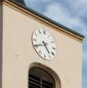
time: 4:40
